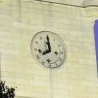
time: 7:59
